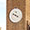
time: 3:48
